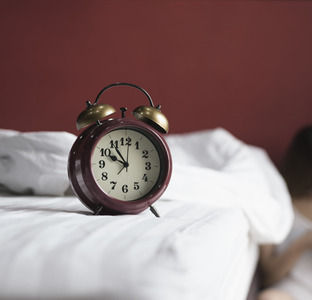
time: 9:54
